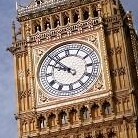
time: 9:53
